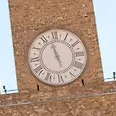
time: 4:57
